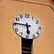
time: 5:45
